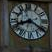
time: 8:20
